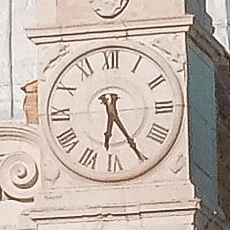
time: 6:25
